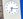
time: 6:15
